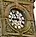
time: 8:56
